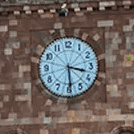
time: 3:29
